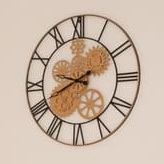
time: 9:41
